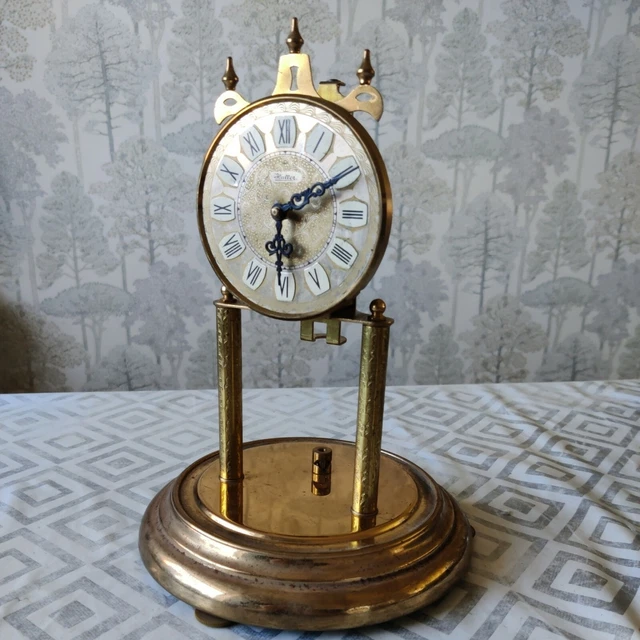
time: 6:10
